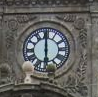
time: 5:59
